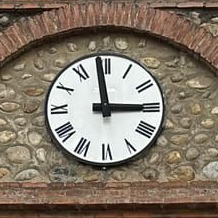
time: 2:58
